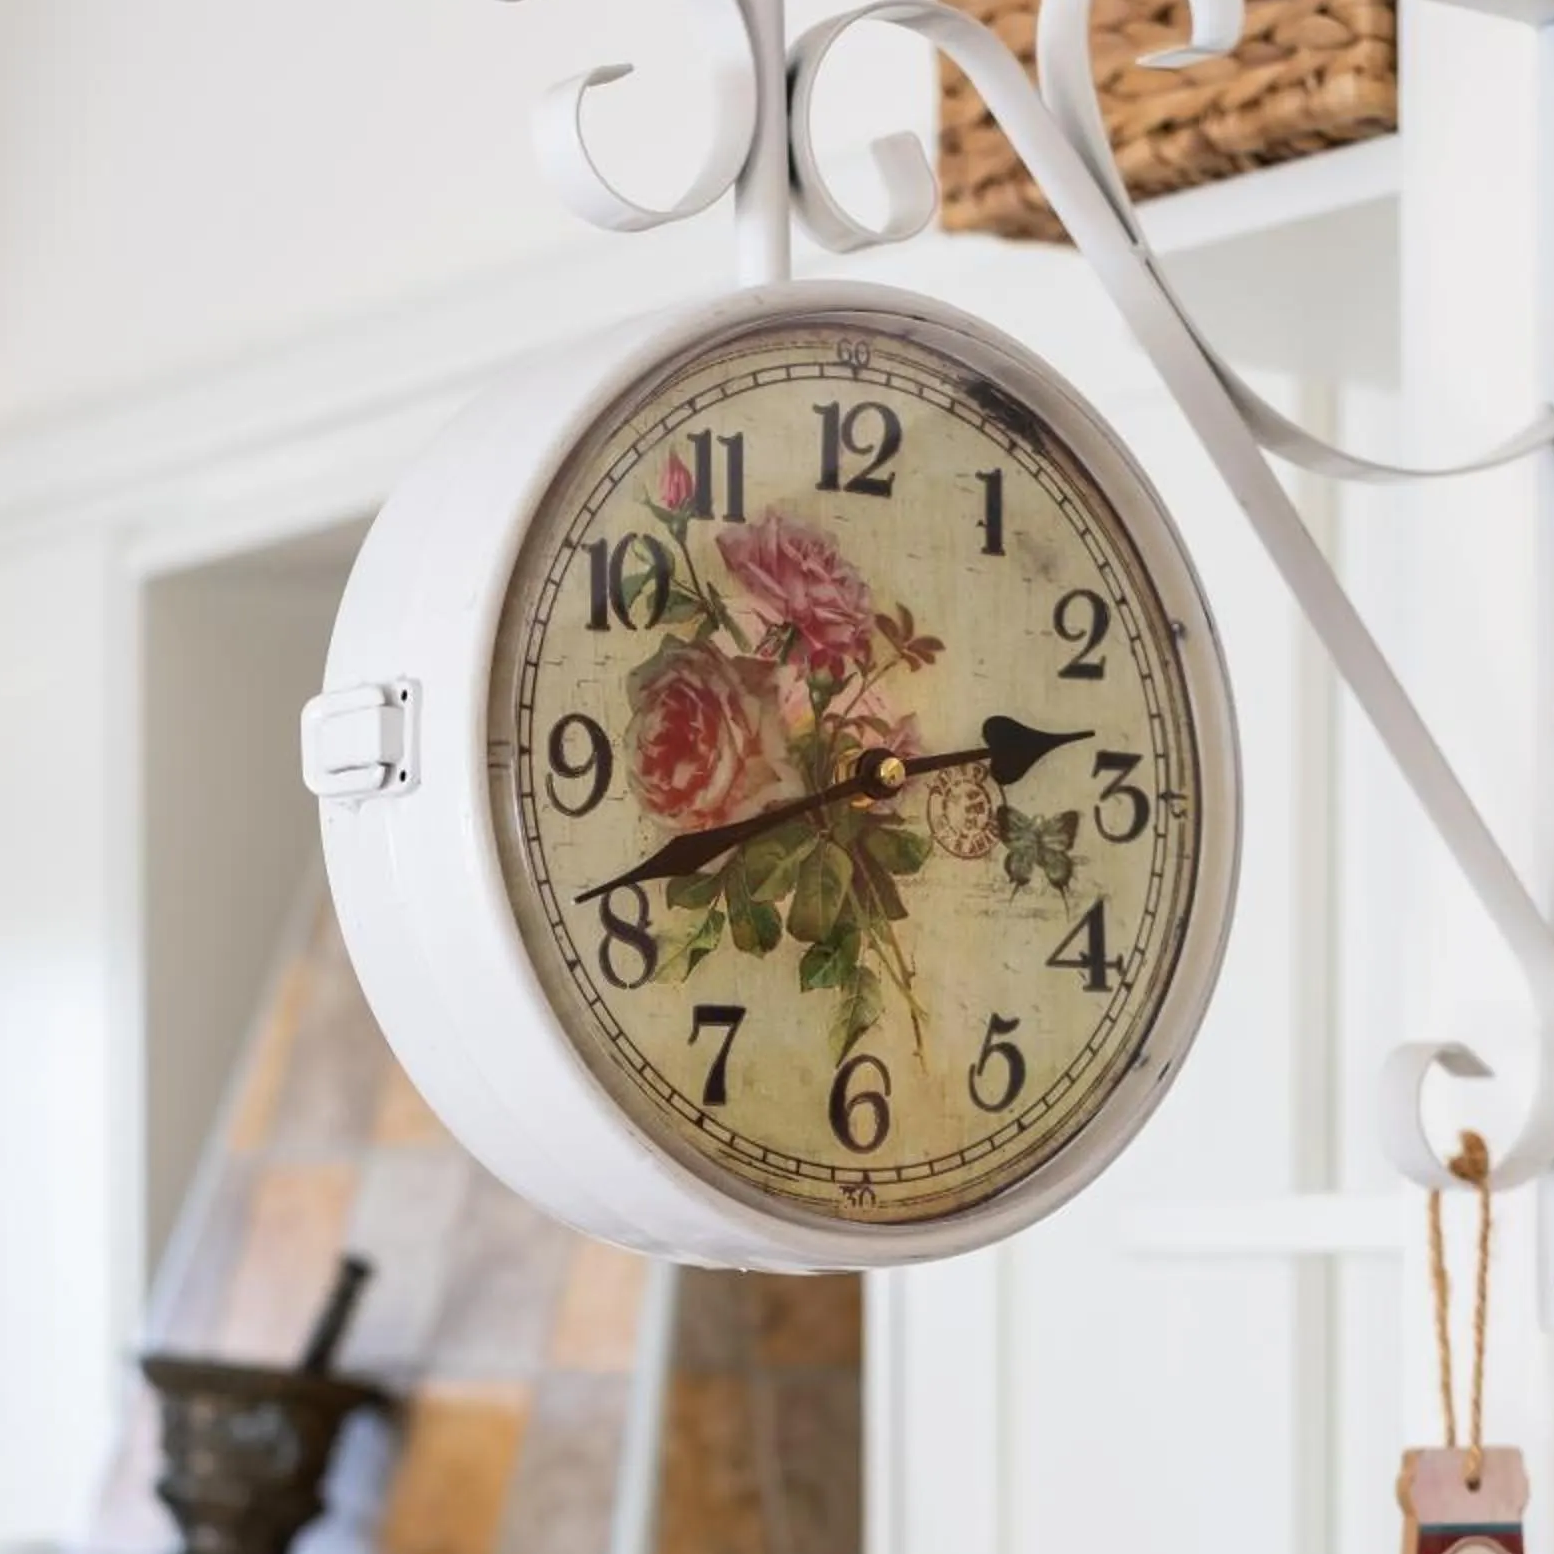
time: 2:41
